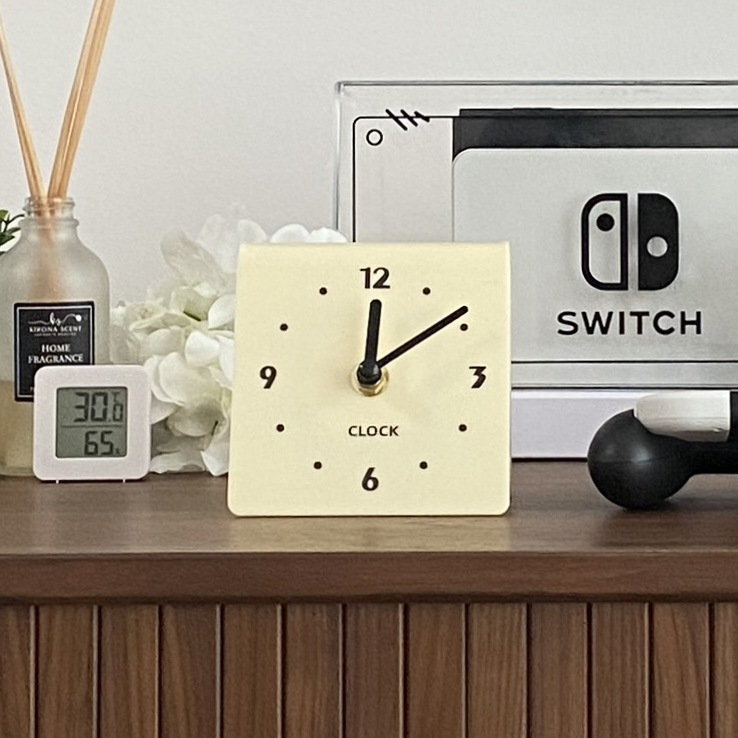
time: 12:09
